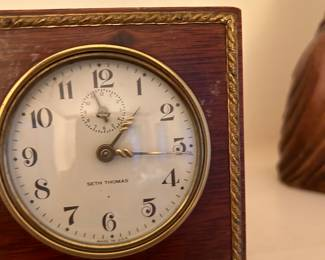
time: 1:16
